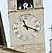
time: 11:18
